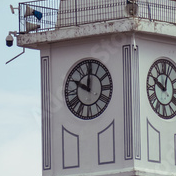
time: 10:00
